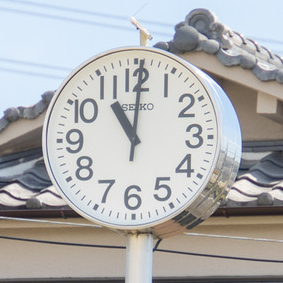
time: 11:00
